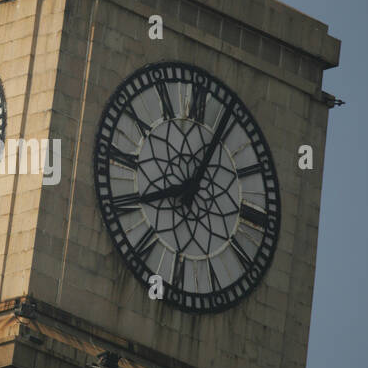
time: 8:03
